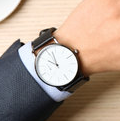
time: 9:57
